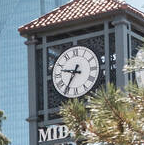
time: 9:35
